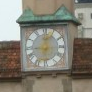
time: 9:01
